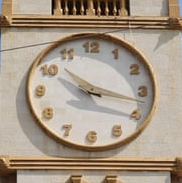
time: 10:17
